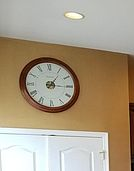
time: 1:15
